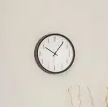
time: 10:06
